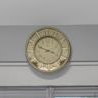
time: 3:48
